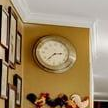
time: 2:37
